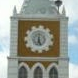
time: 5:01
